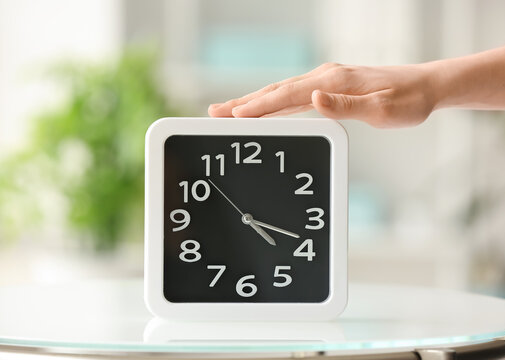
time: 4:18
